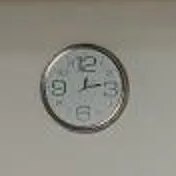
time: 12:12
